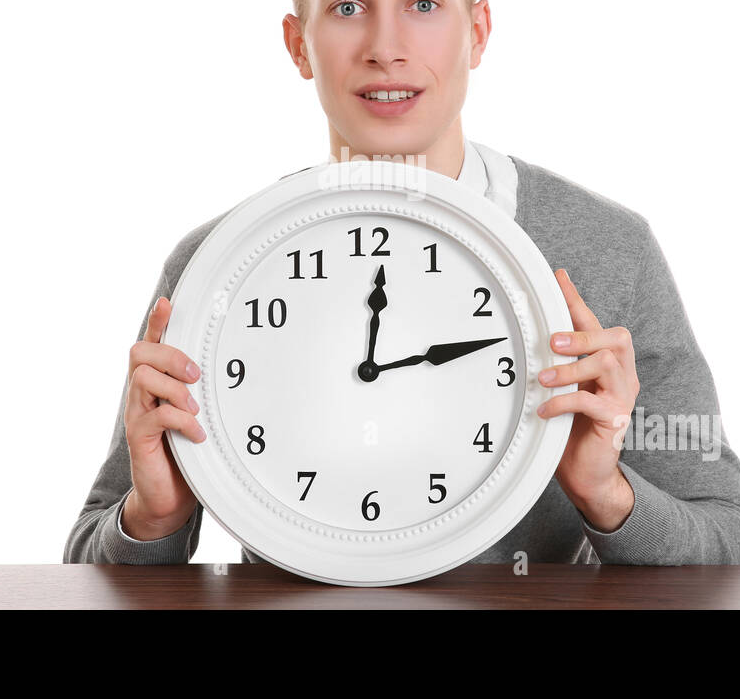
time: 12:12
